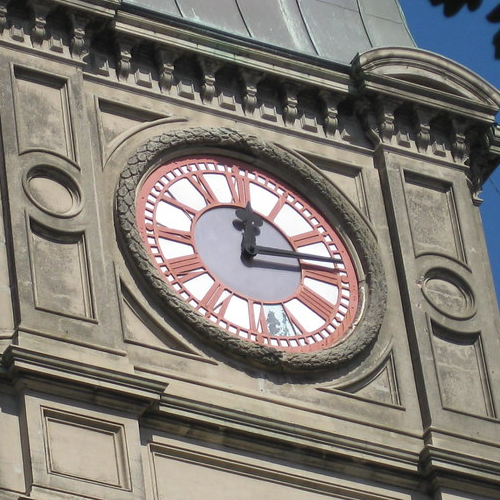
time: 12:13
